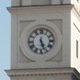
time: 5:26
